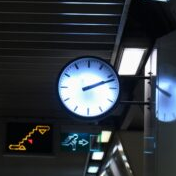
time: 2:11
